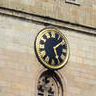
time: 1:26
